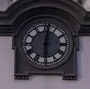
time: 6:01
